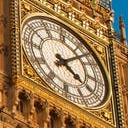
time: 4:07
